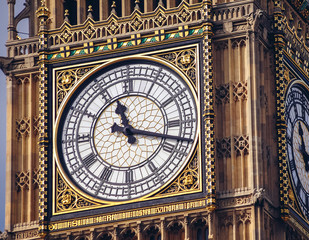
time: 11:17
